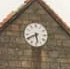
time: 5:40
